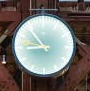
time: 8:53
